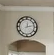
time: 12:13
